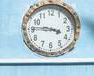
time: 3:46
